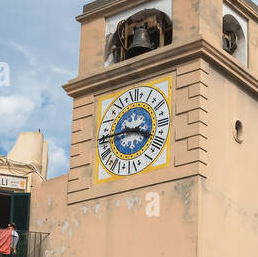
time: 3:43
